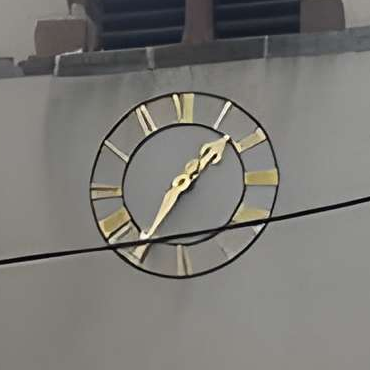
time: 1:35
